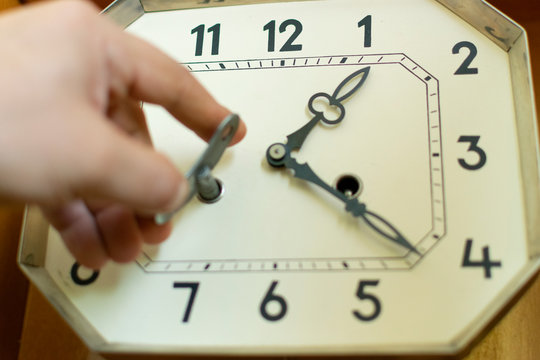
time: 1:21
